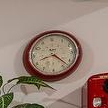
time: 8:22
